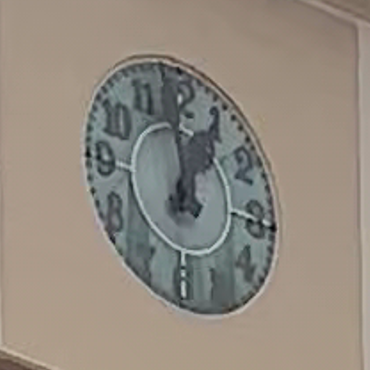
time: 12:59
